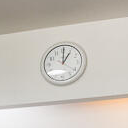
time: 1:00
